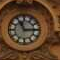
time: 11:14
